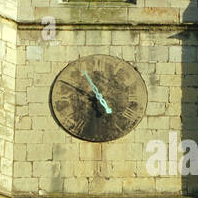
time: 4:49
